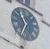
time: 10:34
